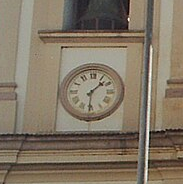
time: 1:30
